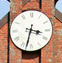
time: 3:32
